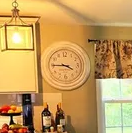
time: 3:45
